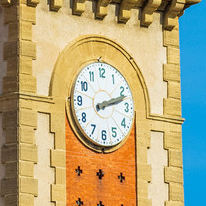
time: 2:11
